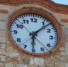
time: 6:07
